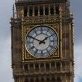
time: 1:49
